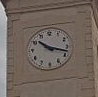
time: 10:17
